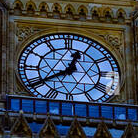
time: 12:39
